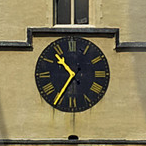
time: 10:35
